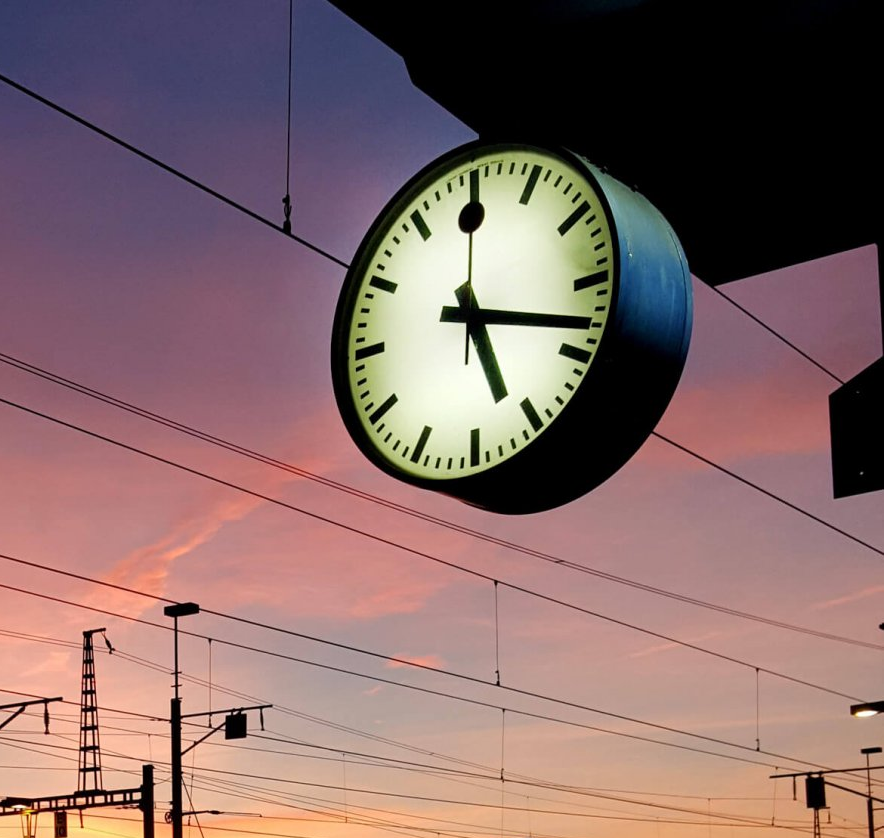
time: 5:17
